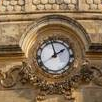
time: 1:57
